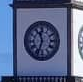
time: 11:33
